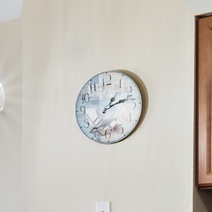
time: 1:12
